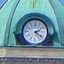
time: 2:21
